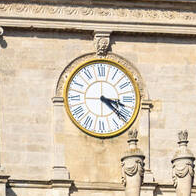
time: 3:21
